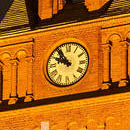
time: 9:53
